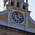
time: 11:21
